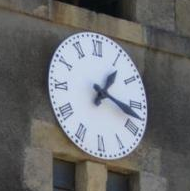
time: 1:17
